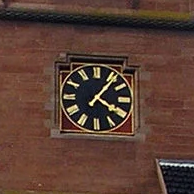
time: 4:06
